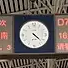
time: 4:22
